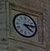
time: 4:13
